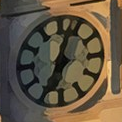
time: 12:34
